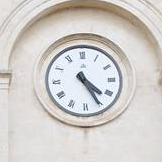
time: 4:25
